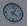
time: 4:04
